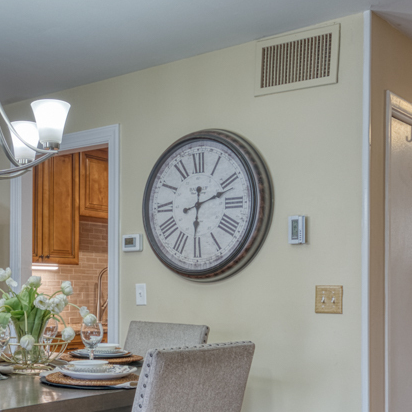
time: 6:11
